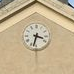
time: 3:32
